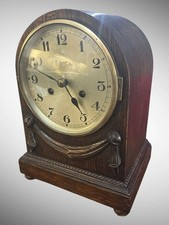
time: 4:47
